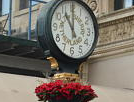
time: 11:00
